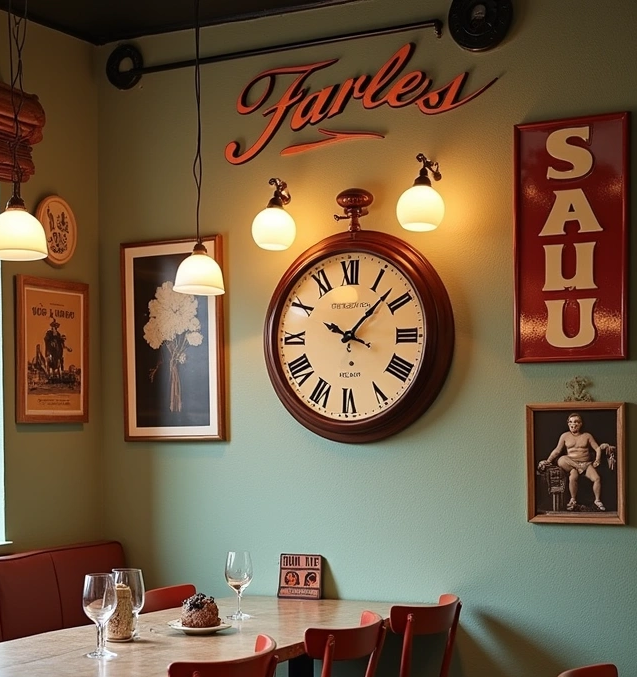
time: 10:07
